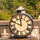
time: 11:48
